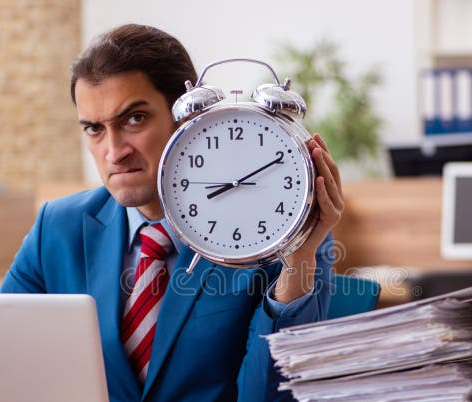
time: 8:10
